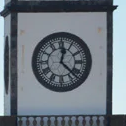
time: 12:22
